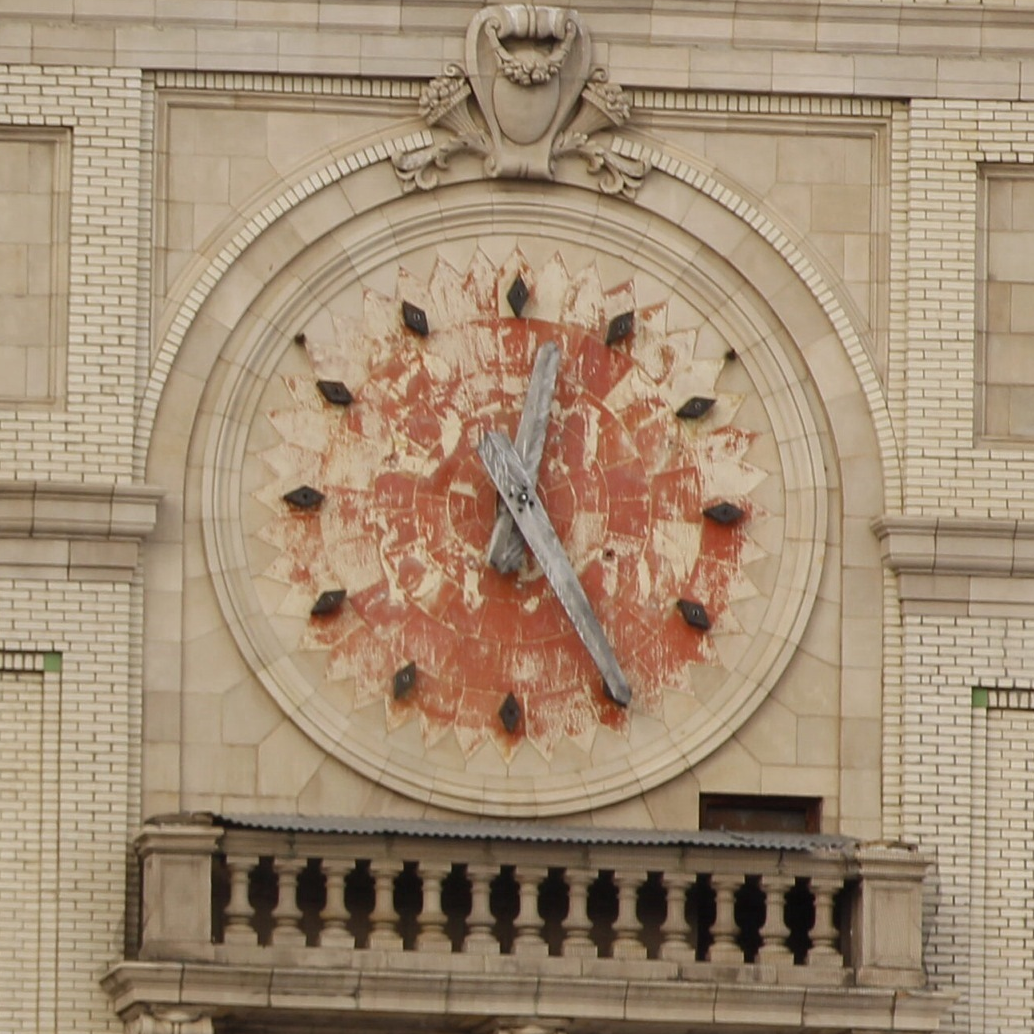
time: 12:24
